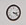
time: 3:21
